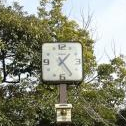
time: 1:24
